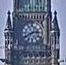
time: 2:40
